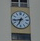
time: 6:43
